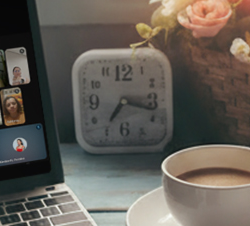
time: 7:17
